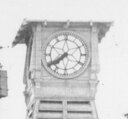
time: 7:39
